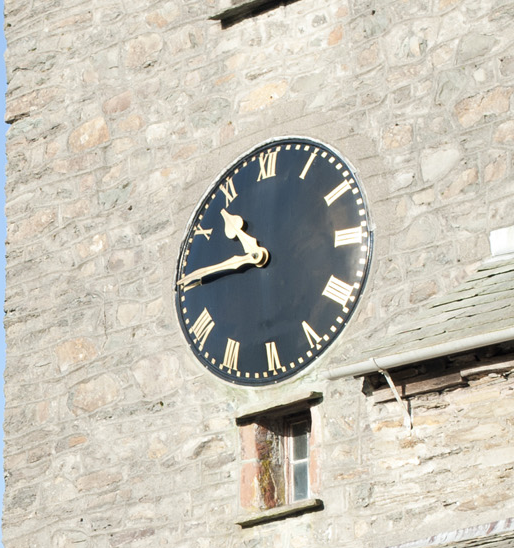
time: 10:45
